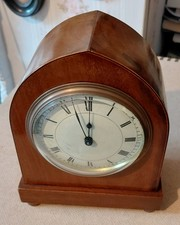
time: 11:56
